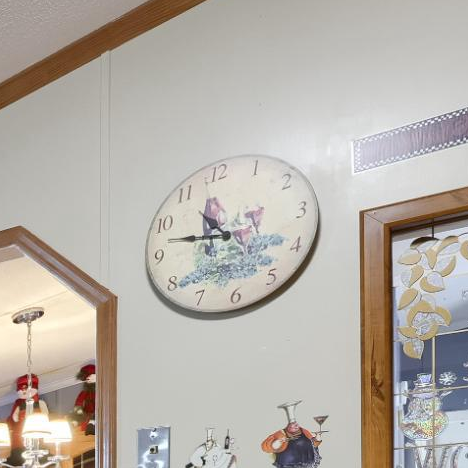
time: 10:47
